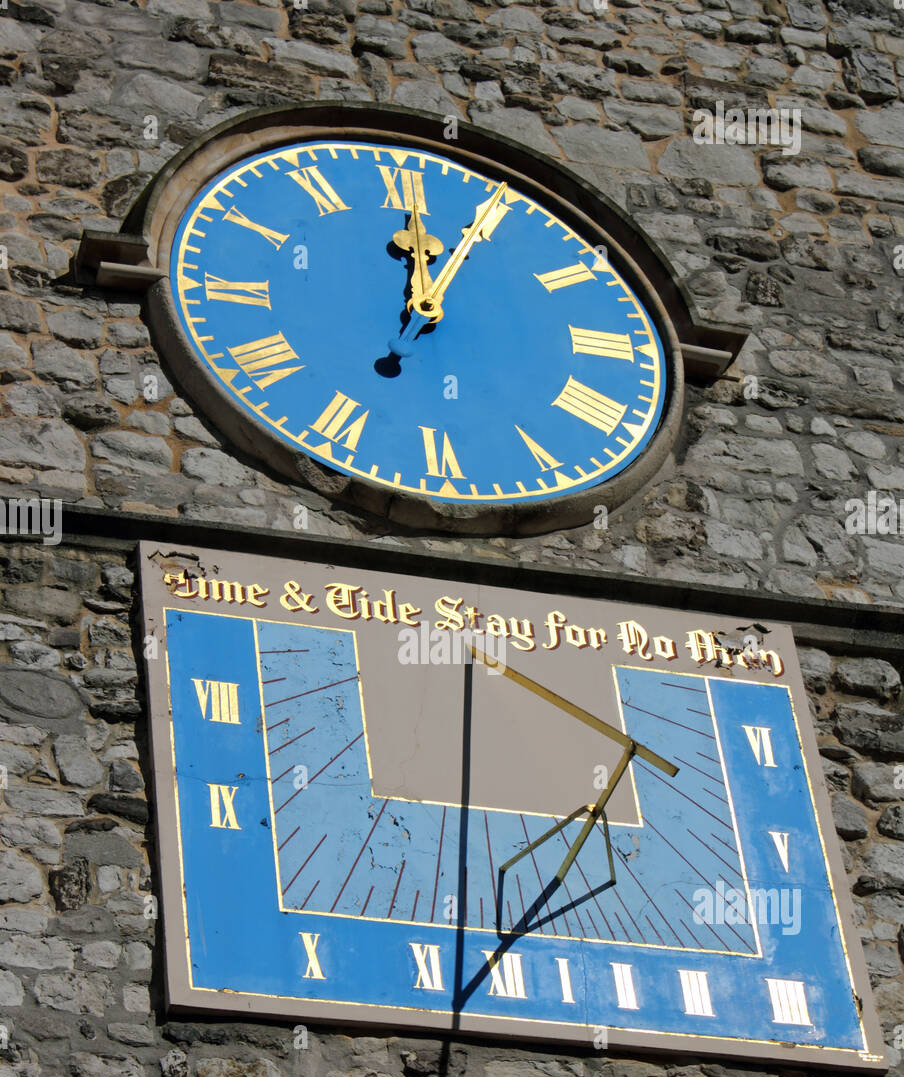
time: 12:04
